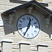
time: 12:34
